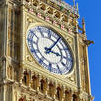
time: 3:05
